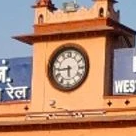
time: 5:43
